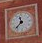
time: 11:37
